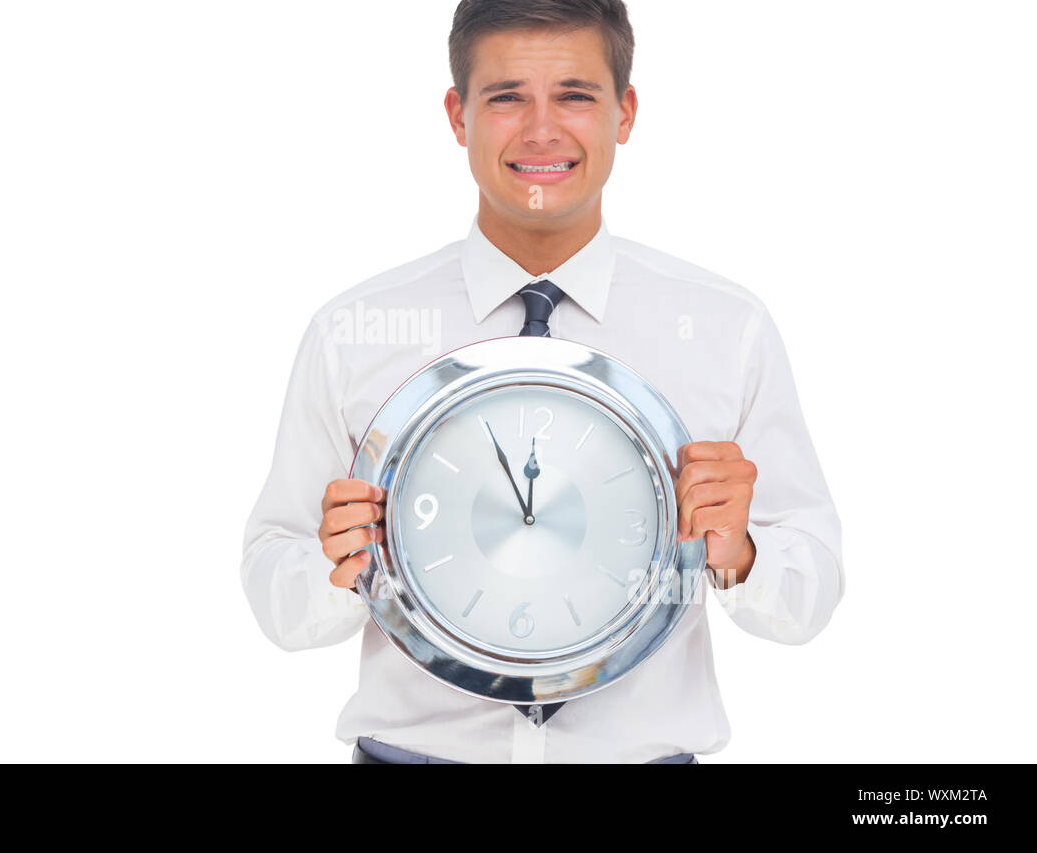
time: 11:55
